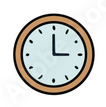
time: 2:59
